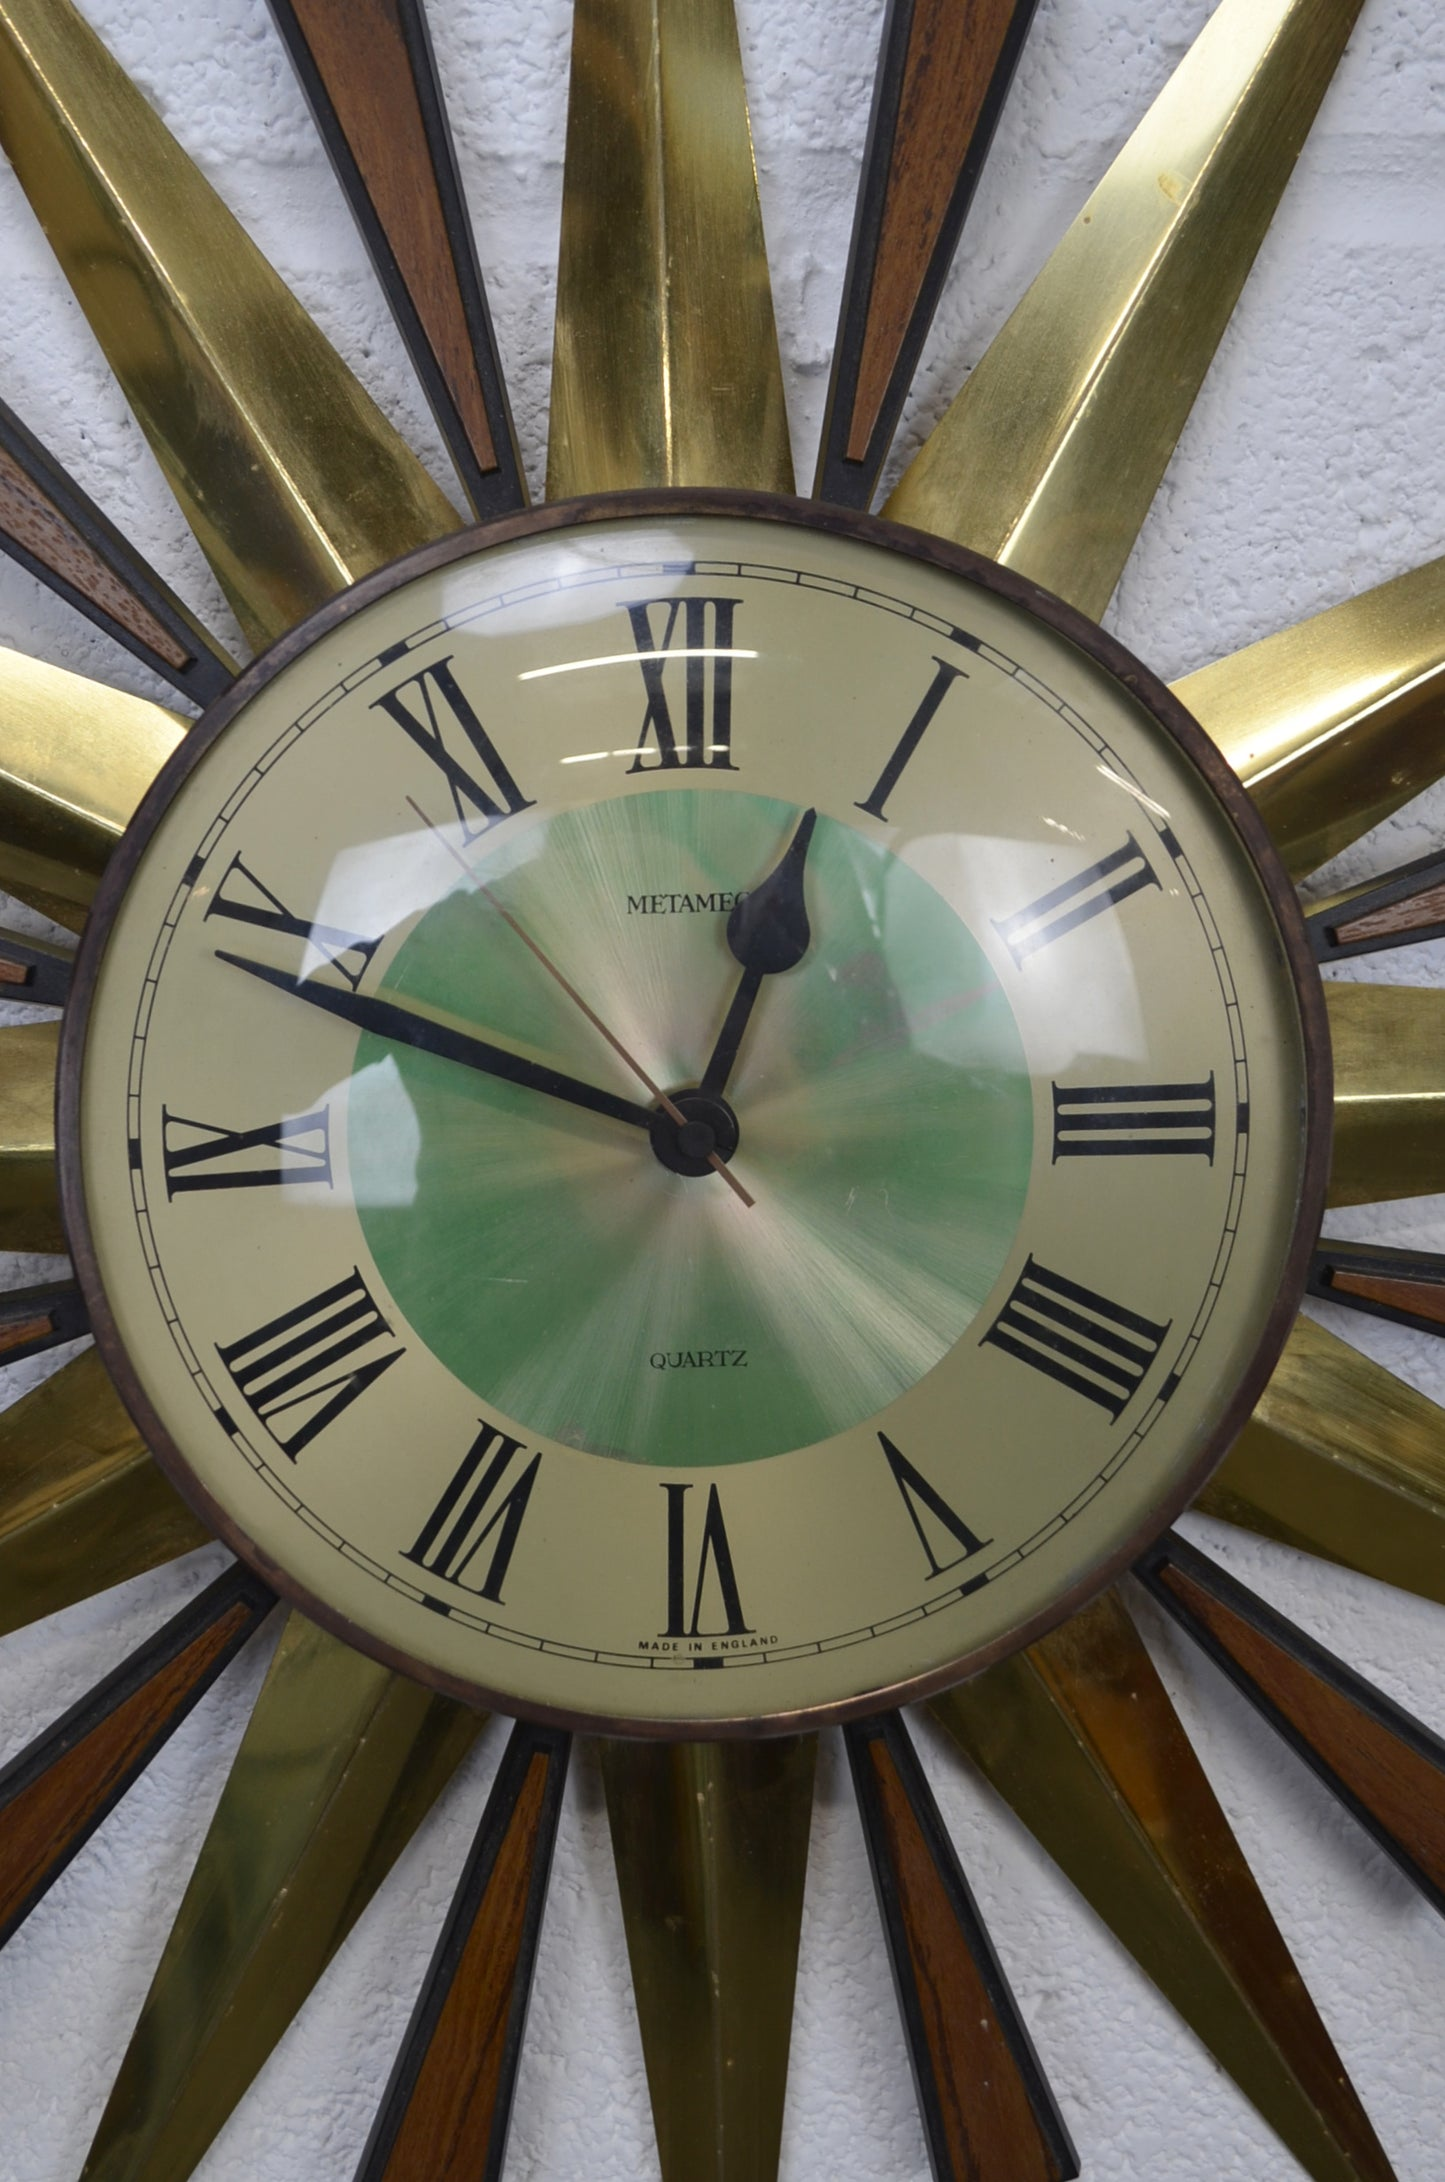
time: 12:48
